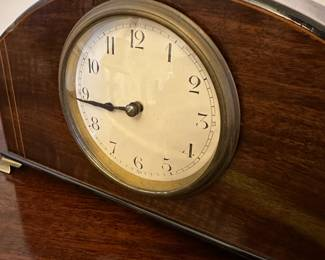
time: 8:44
